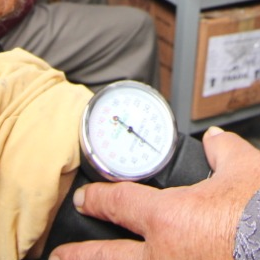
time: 10:21
